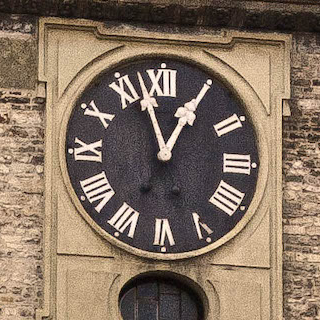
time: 12:57
